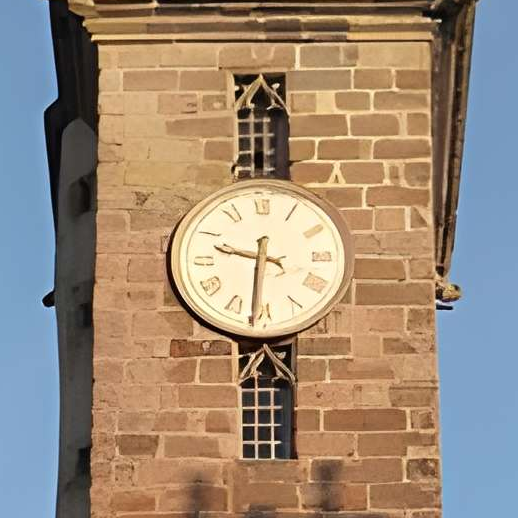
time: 9:31
